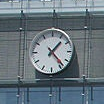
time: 1:23
